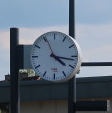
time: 4:16
